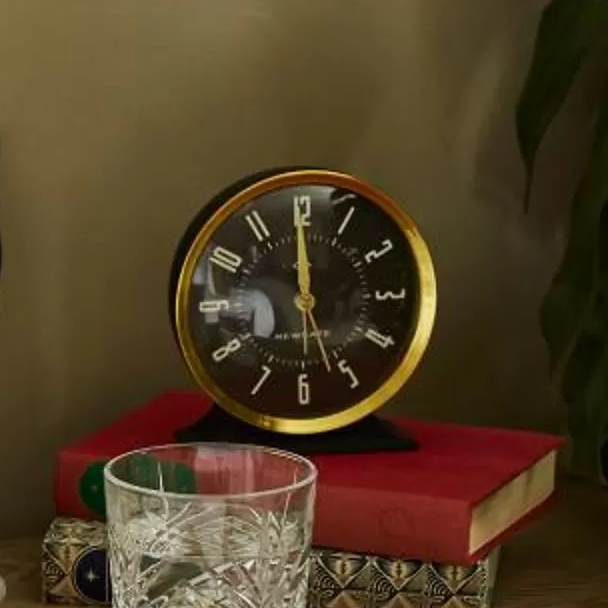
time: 11:59
